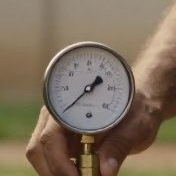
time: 1:38
